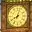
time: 8:03
